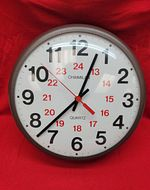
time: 12:37
